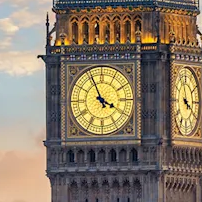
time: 3:55
